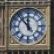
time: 11:53
